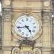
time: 4:43
